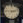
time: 2:46
